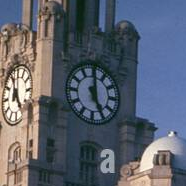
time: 4:59
